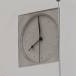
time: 7:59
